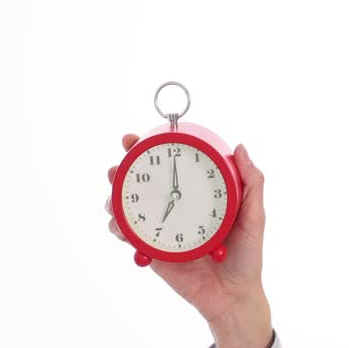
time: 7:00
